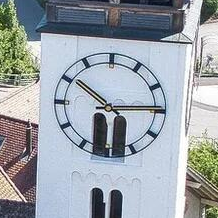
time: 10:14
